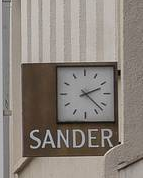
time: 2:22
